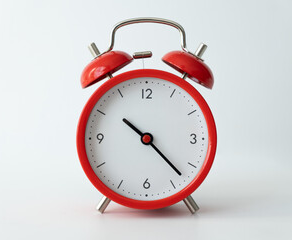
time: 10:22
